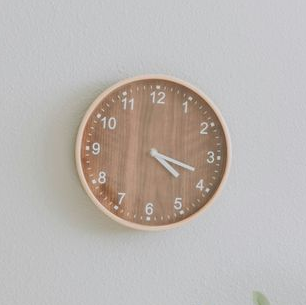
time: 4:18
